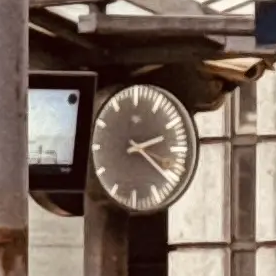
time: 2:21
